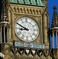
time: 8:49
